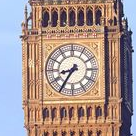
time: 8:35
